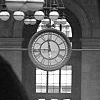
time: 11:44
